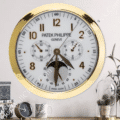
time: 4:31
